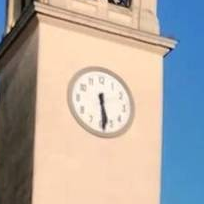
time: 5:29
